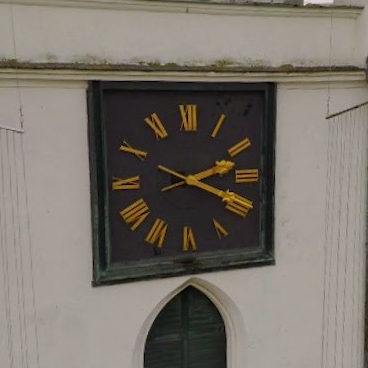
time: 2:18
